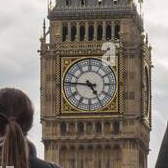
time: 4:46
